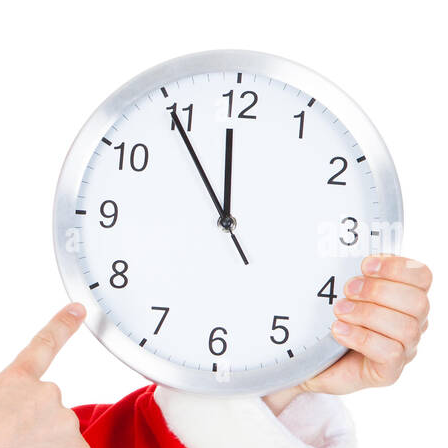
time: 11:54
